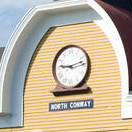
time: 9:12
